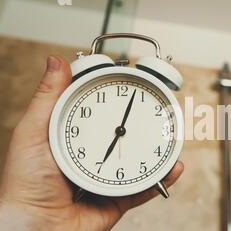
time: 7:03
